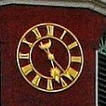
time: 5:22
